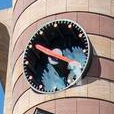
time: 3:50
